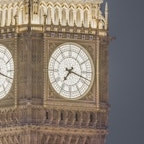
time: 7:17
